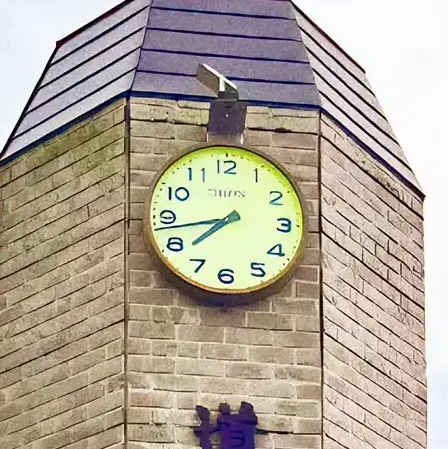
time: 7:43
